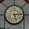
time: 5:13
